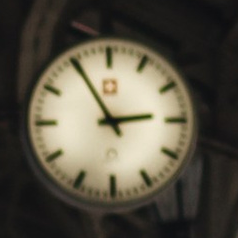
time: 2:55
